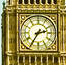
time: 2:35
